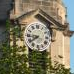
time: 7:44
